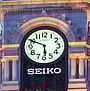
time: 5:49
